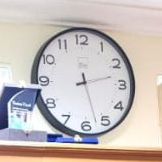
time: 2:27
